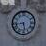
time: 5:43
